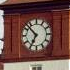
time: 6:52
